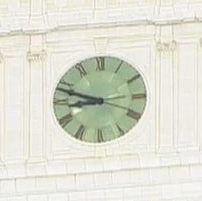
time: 8:48
